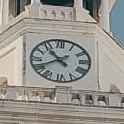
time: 10:40
